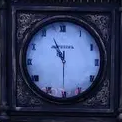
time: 11:29
